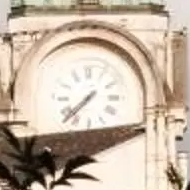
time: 7:37
